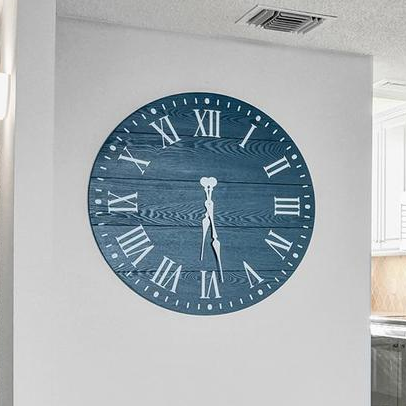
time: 6:28
